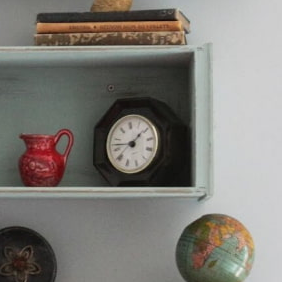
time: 1:46
